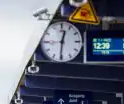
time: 12:30
